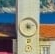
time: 4:12
